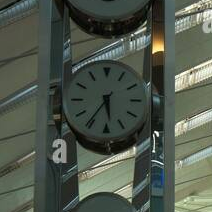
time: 5:35
